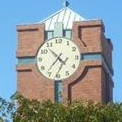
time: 4:36
